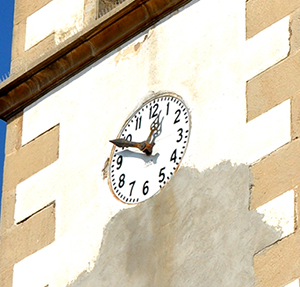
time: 12:49
